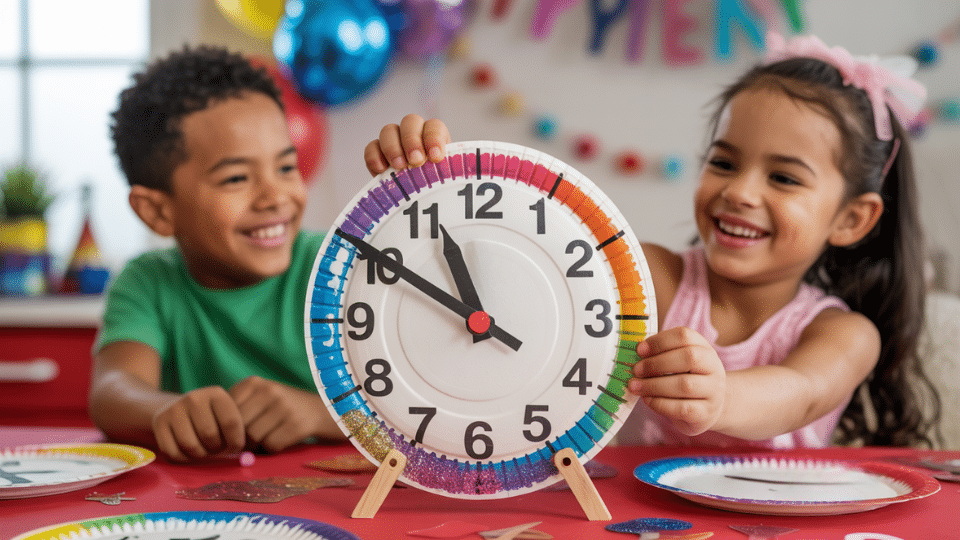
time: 10:50
